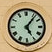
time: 5:06
